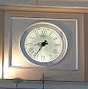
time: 8:36
